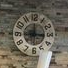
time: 12:16
